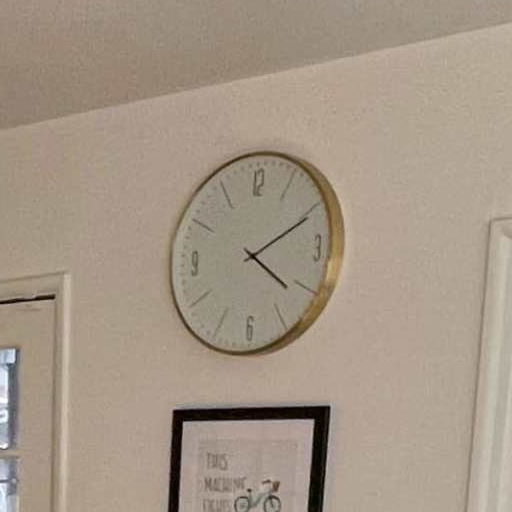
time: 4:10
